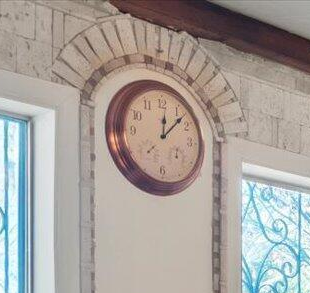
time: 12:07
